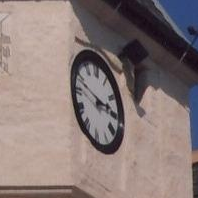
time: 2:48
